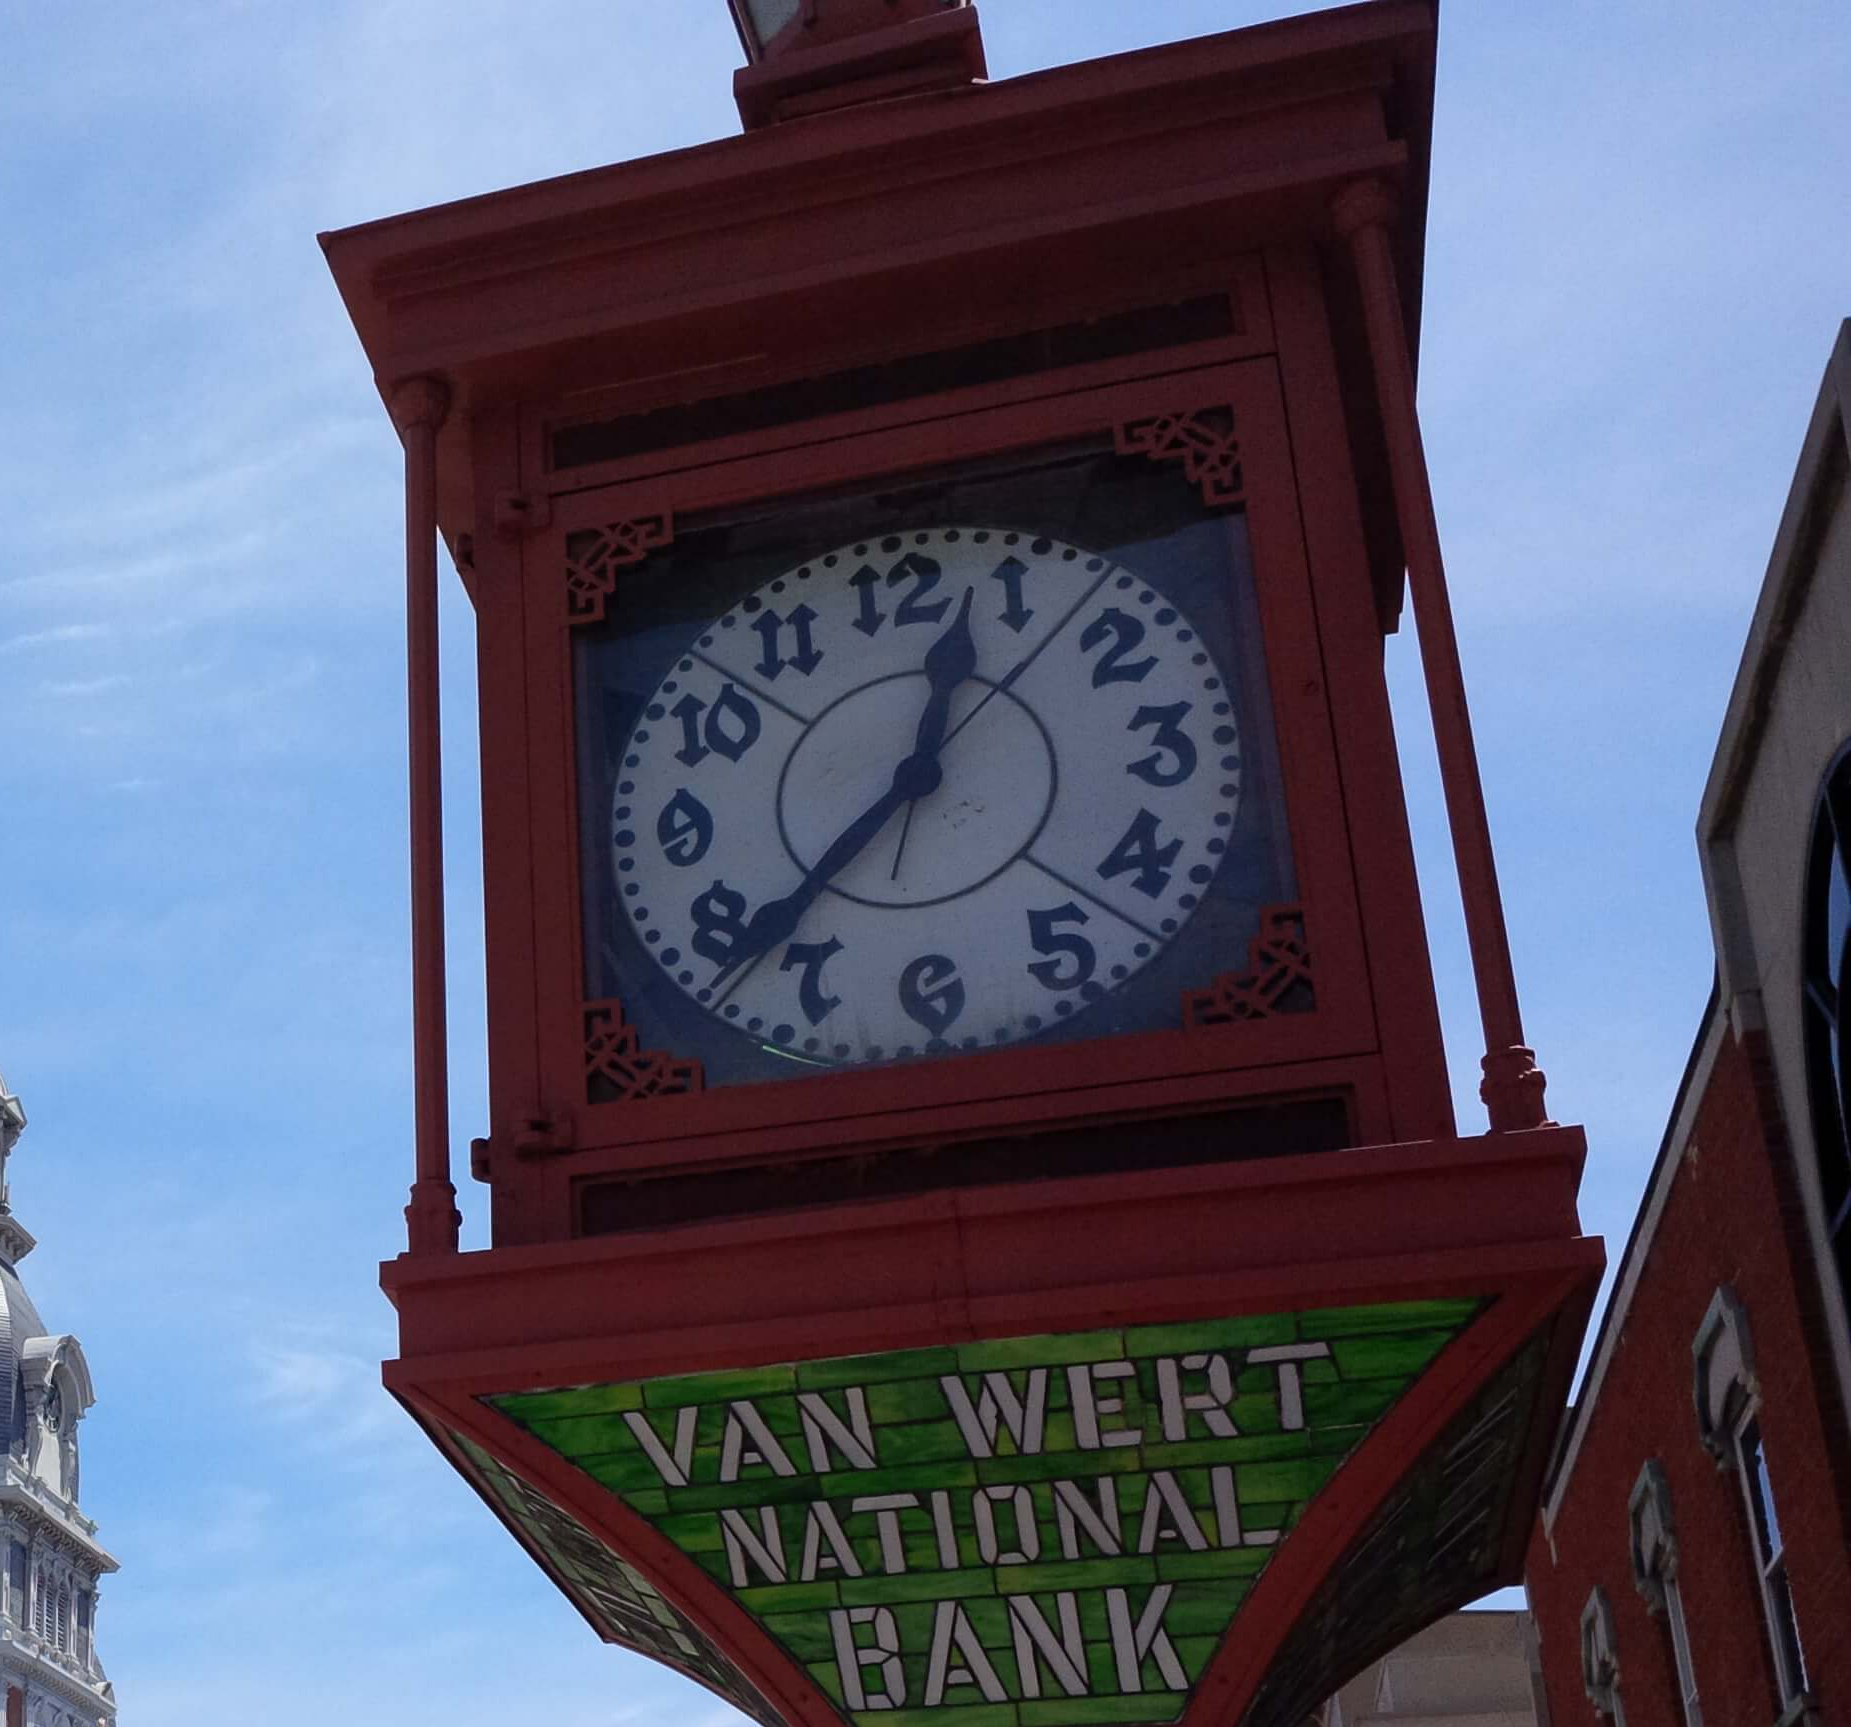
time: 12:37
